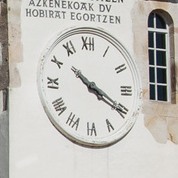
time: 10:20
